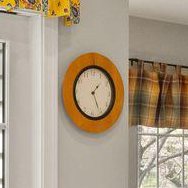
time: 1:25
